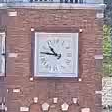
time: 10:46
